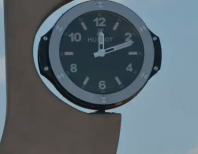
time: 12:11
